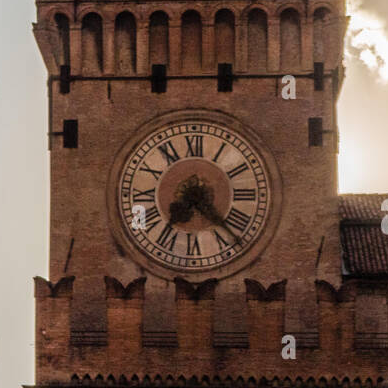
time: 7:22
